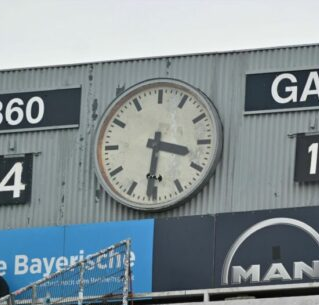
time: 3:31
